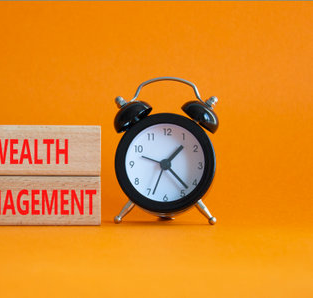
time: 1:22
